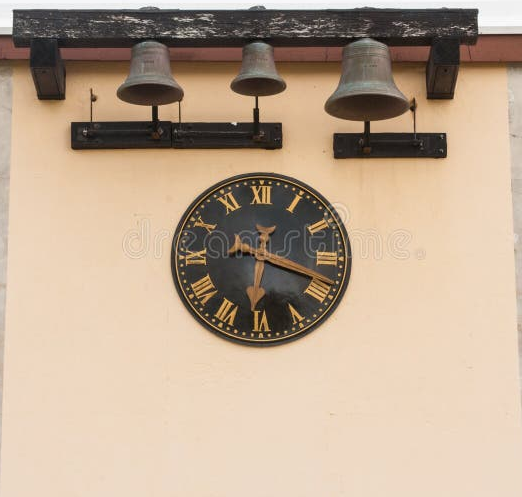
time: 6:18
